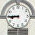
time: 8:45
